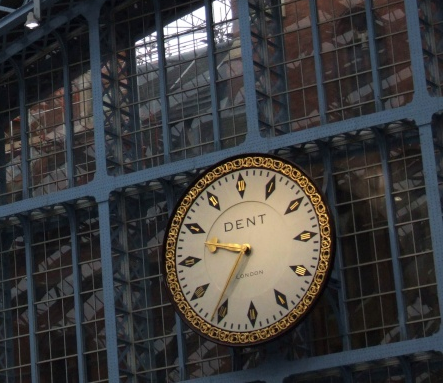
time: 9:35
